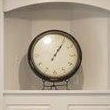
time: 1:05
